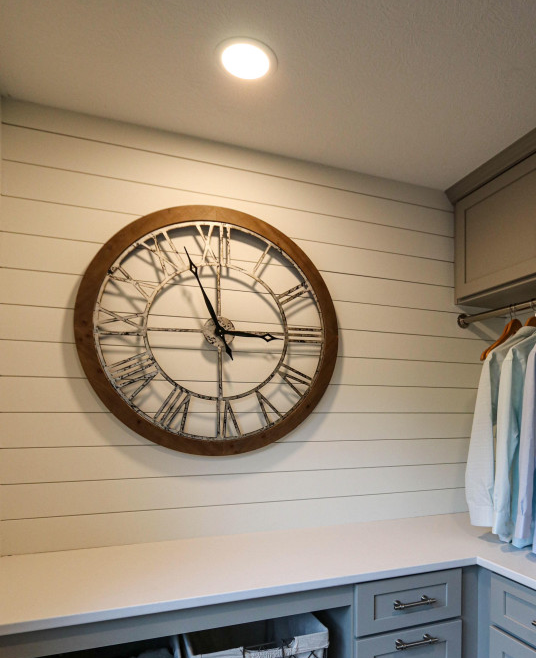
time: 2:56
